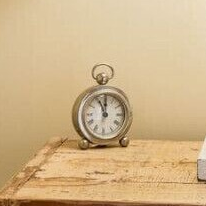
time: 11:55
